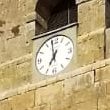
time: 6:58
